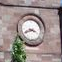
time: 3:41
